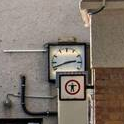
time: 2:42
